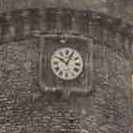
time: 10:04
